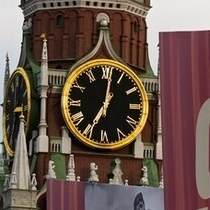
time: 7:01
